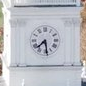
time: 7:28
